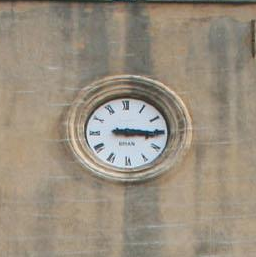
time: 3:15
